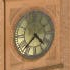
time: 4:37
